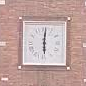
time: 6:01
